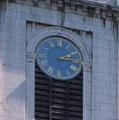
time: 2:14
